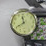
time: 11:40
